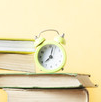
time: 8:02
